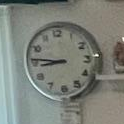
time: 8:46
